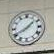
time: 1:40
